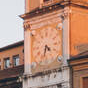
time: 4:33
